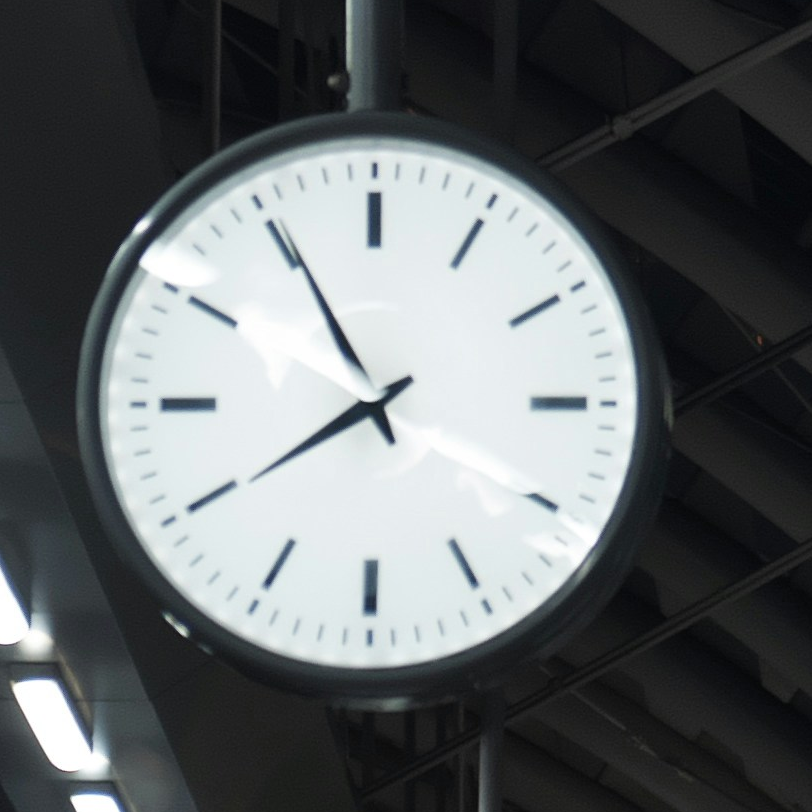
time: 7:55
